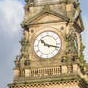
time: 10:17
